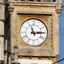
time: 11:14
